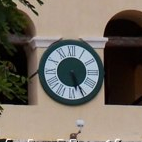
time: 5:25
